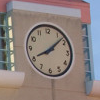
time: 8:07
